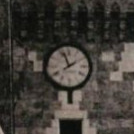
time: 1:56
